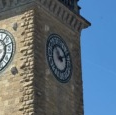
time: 11:11
